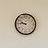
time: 9:45
